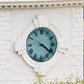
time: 4:21
